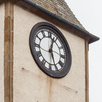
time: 12:26
